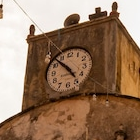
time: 4:52
